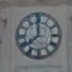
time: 7:58
